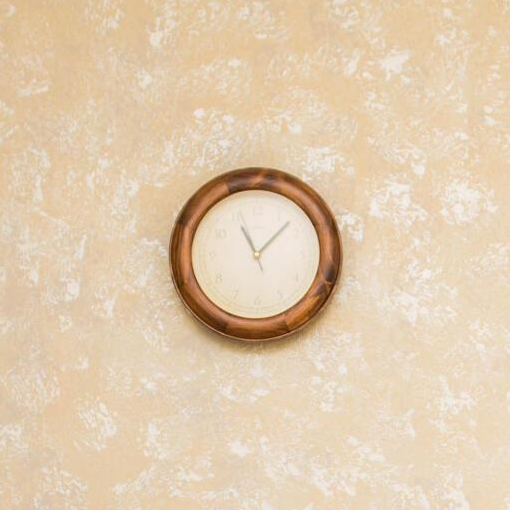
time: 11:07
